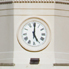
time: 5:00
